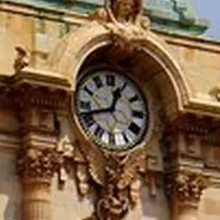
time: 12:42
